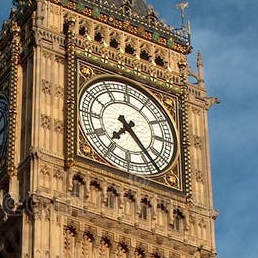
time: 7:23
